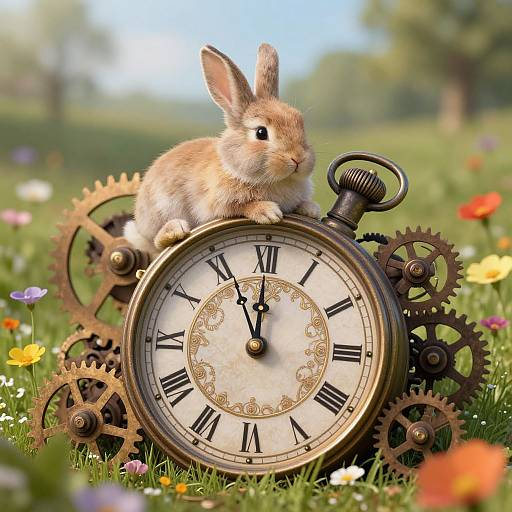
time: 11:55
